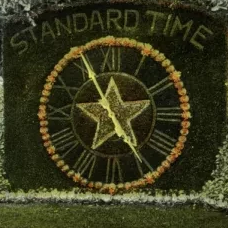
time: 4:55
